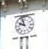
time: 9:57
